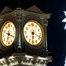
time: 6:18
